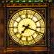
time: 7:18
